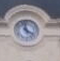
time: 3:58
